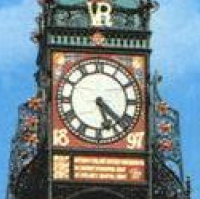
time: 5:22
